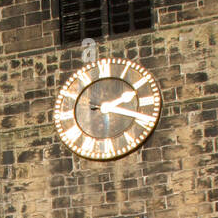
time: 2:18
